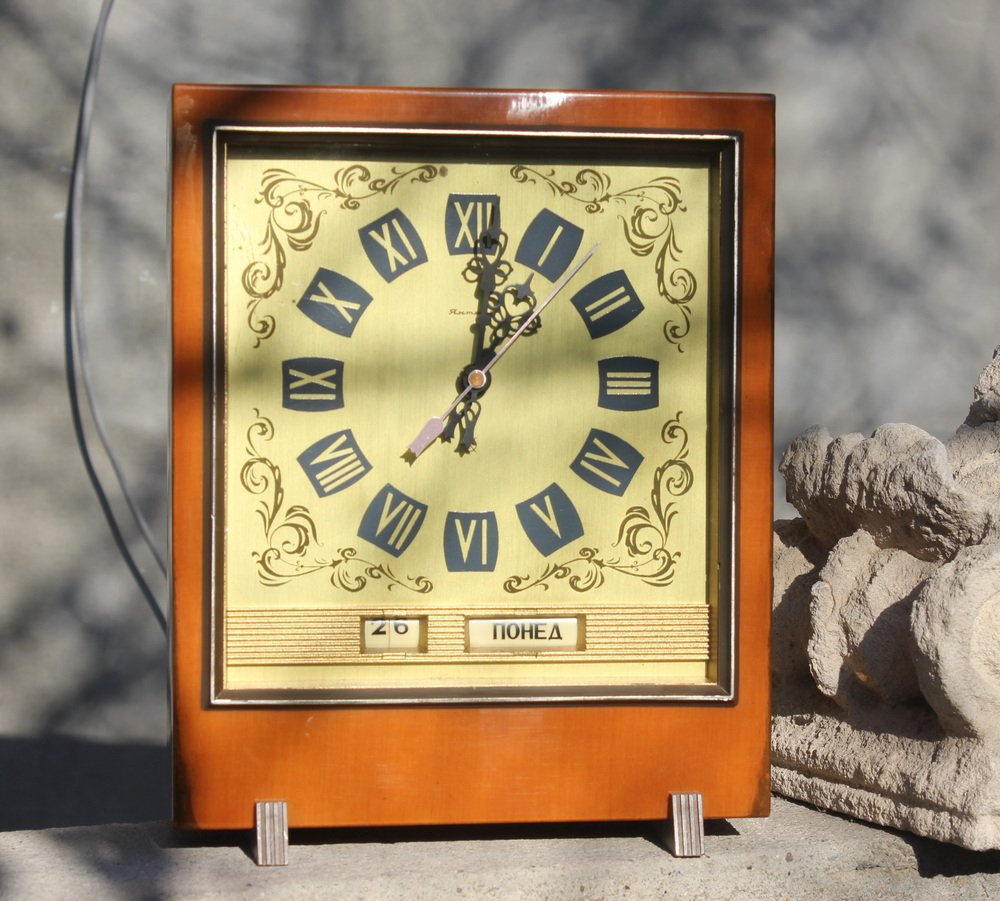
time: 1:01
